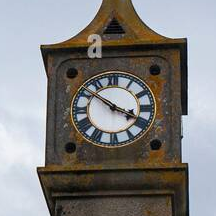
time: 3:50
